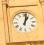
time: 1:02
